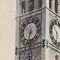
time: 6:32
